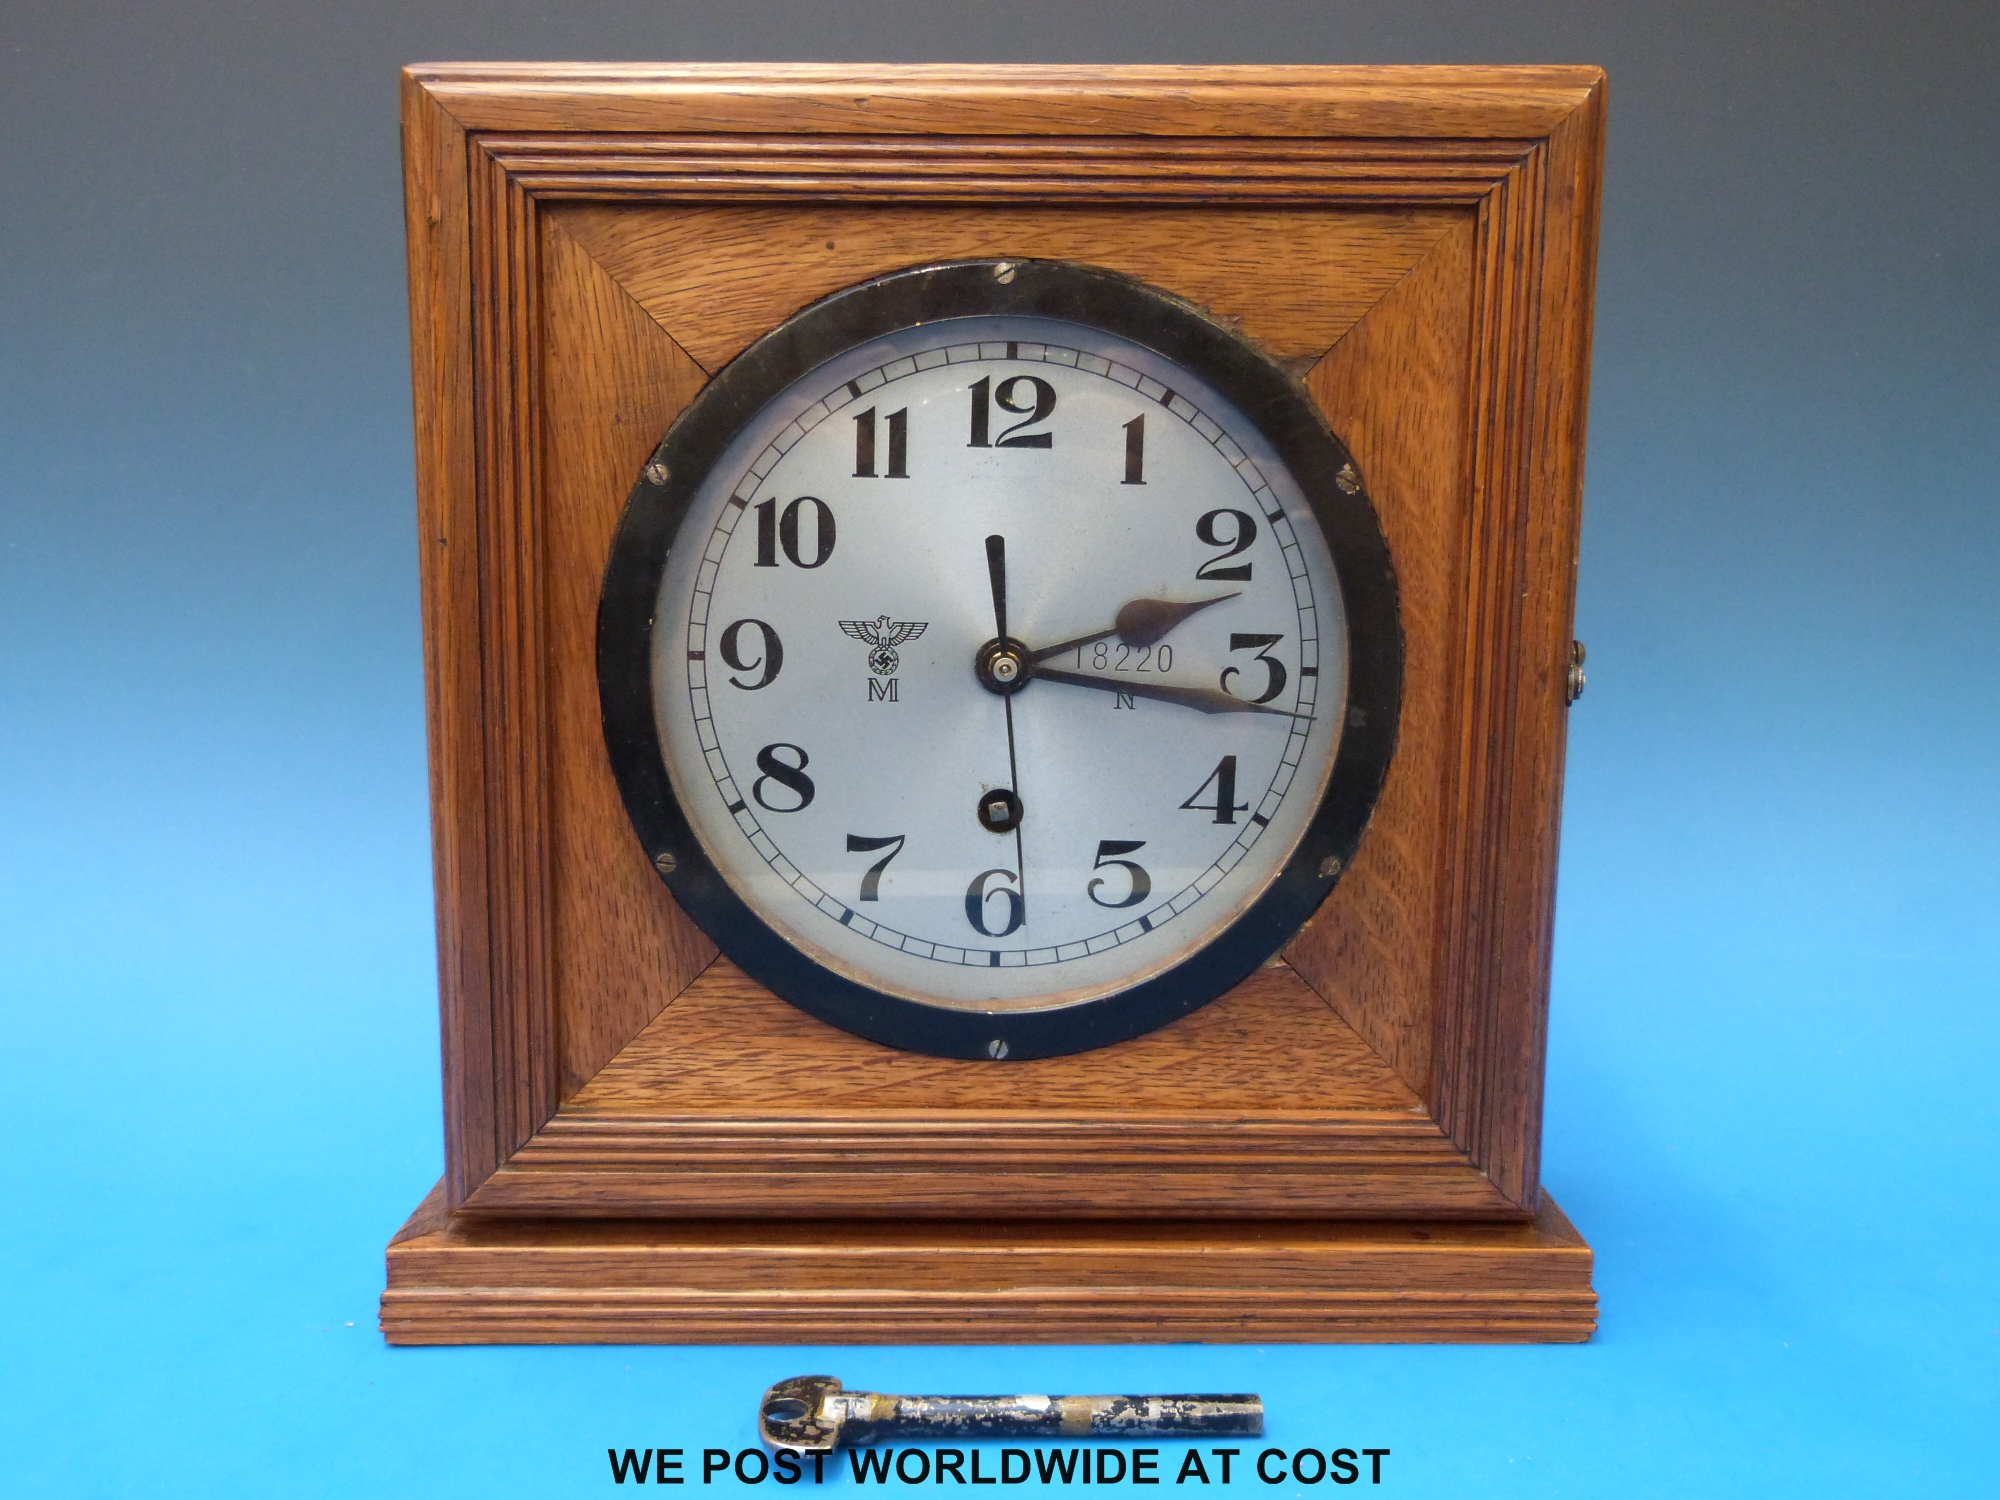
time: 2:16
